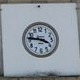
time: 3:46
